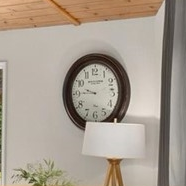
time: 9:45
